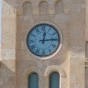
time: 12:14
